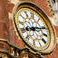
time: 8:11
